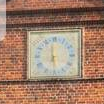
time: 5:59
